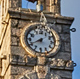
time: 7:40
